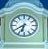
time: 6:39
